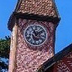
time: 11:08
